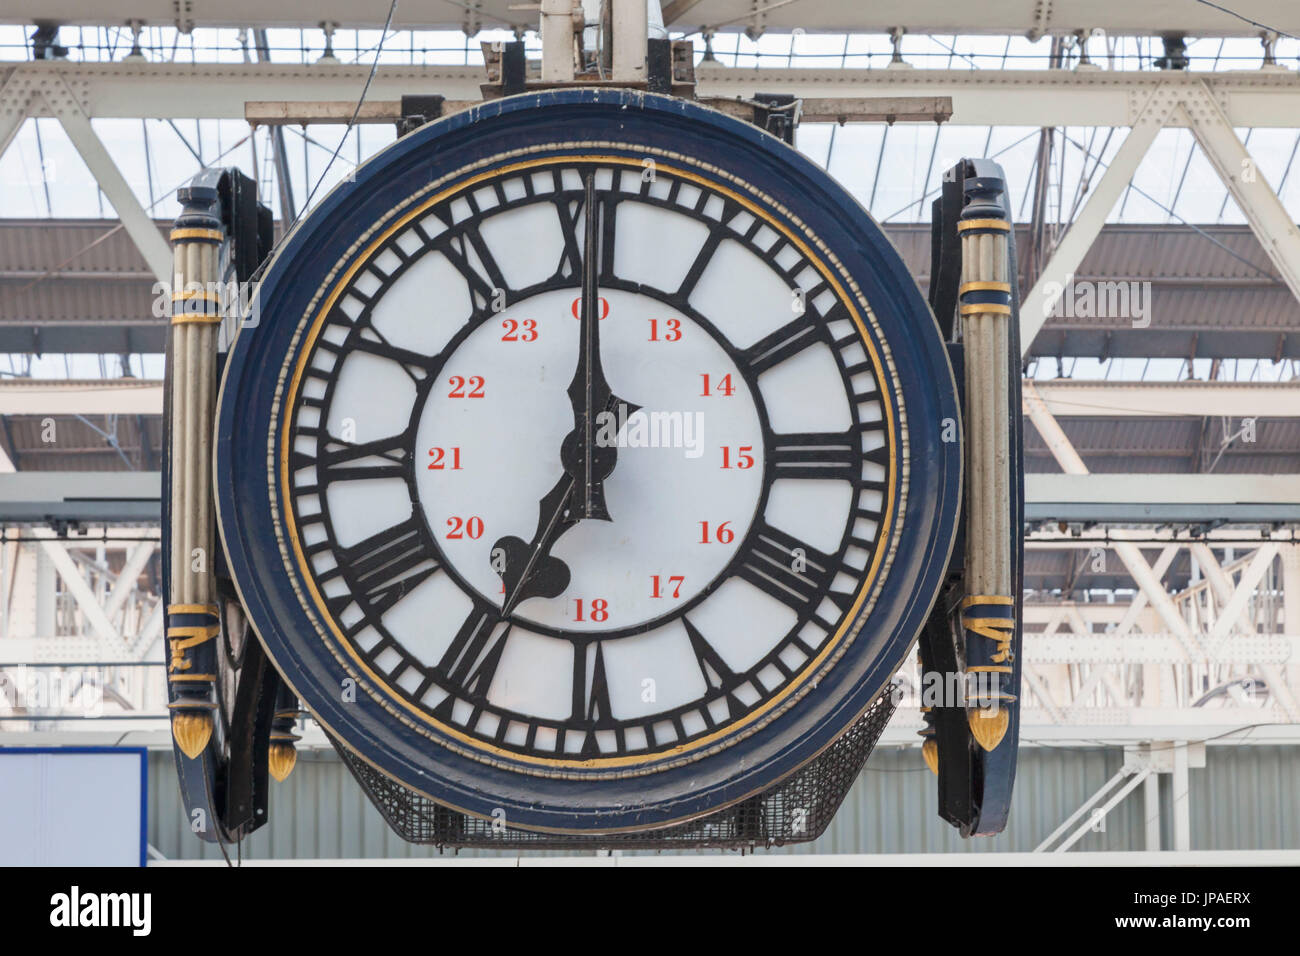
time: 7:00
